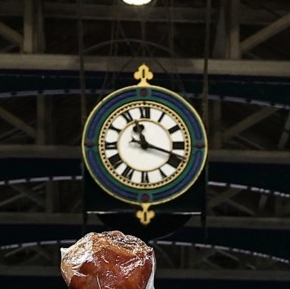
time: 11:17
